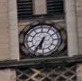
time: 6:36
